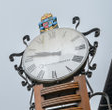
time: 9:45
